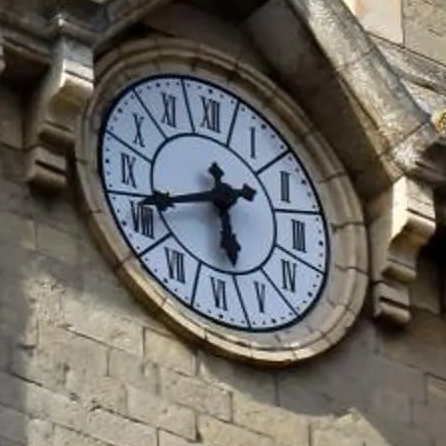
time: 5:41
